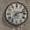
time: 7:12
